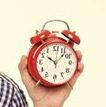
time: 10:07
